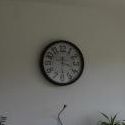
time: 3:29
